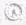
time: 4:32
